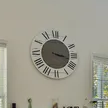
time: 3:17
